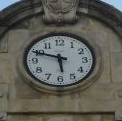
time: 5:48
